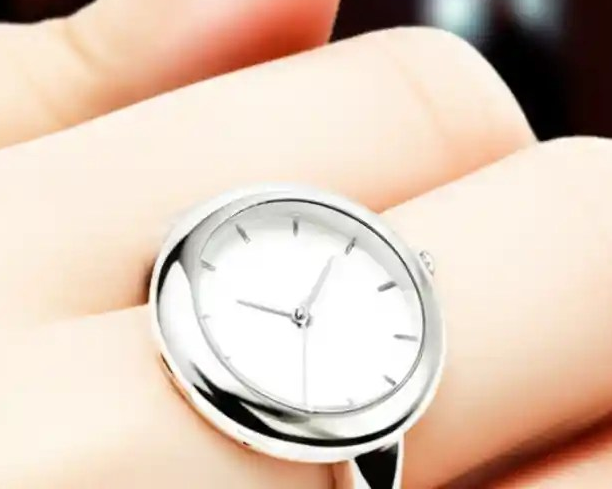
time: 9:04
